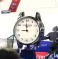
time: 8:59
